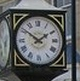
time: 1:51
